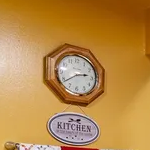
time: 2:38
